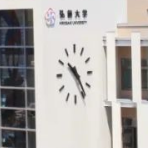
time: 10:24
